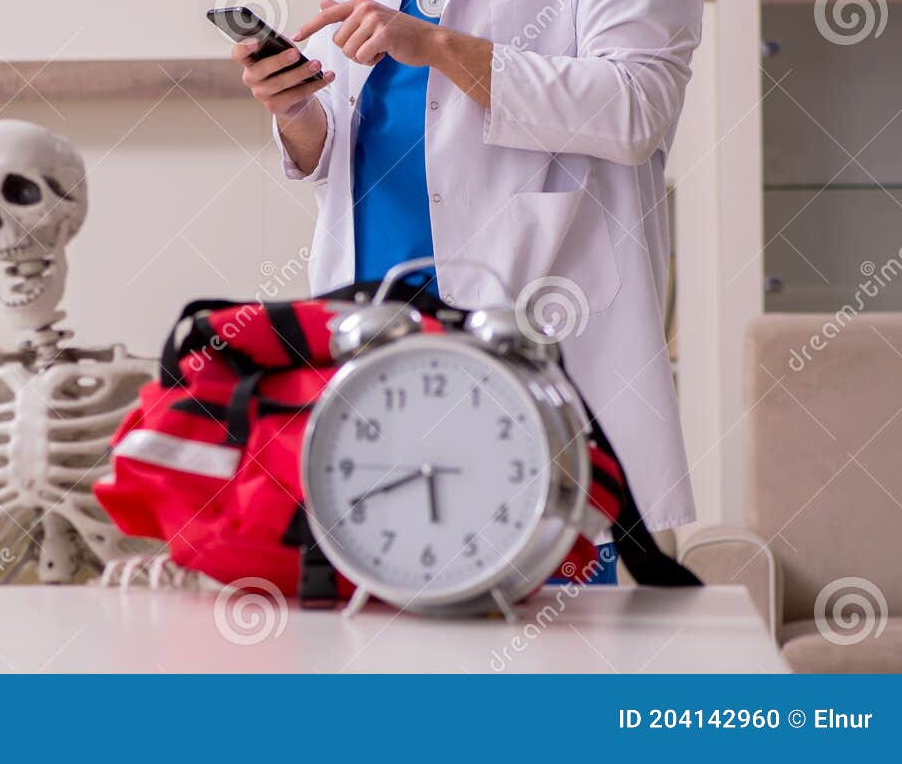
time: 5:41
